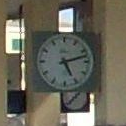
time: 5:12
